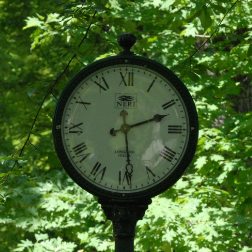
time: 2:29
